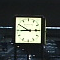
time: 9:14
